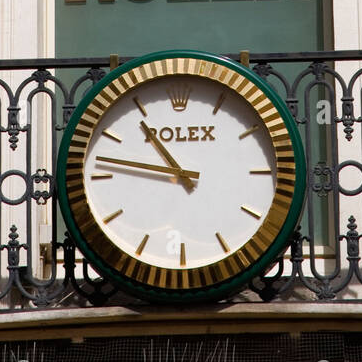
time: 10:46
